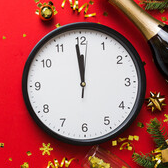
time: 11:58
